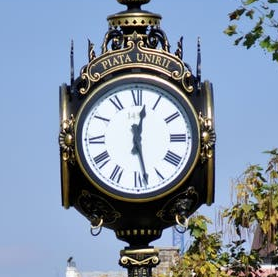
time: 12:28
